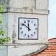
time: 11:51
